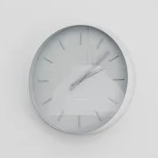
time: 2:07
